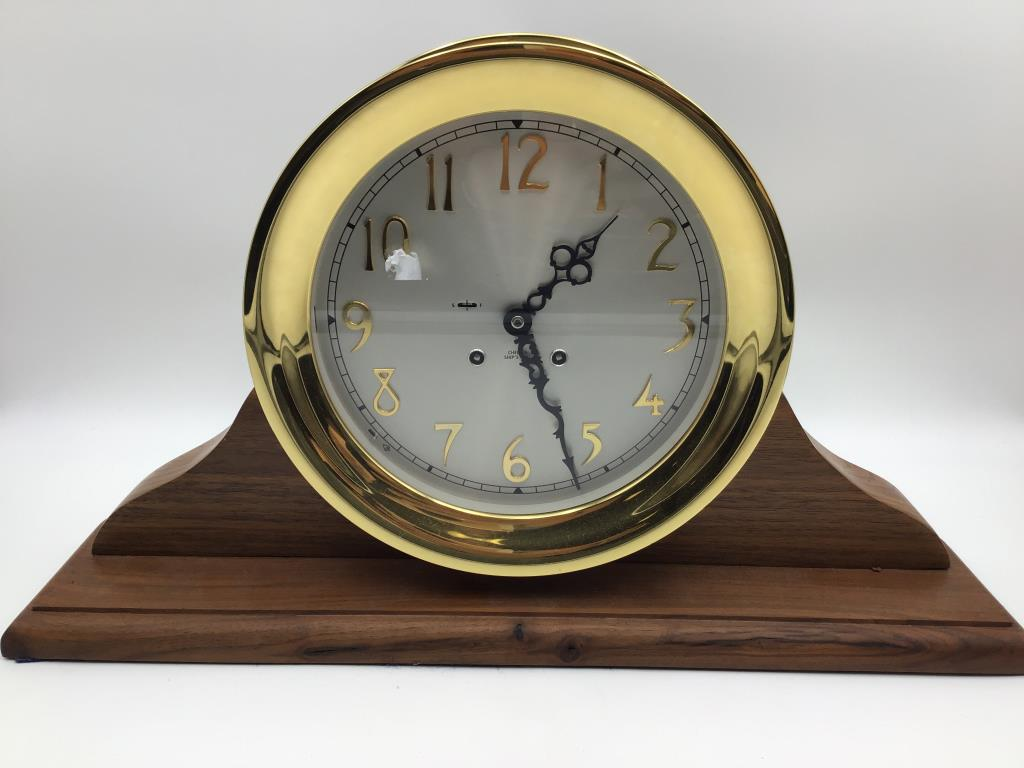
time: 1:26
